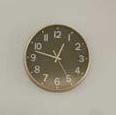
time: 12:47
